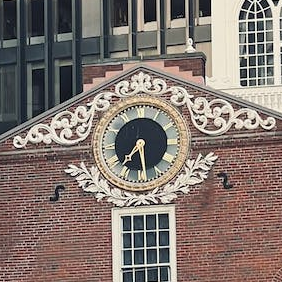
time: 7:29
